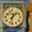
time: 1:32
